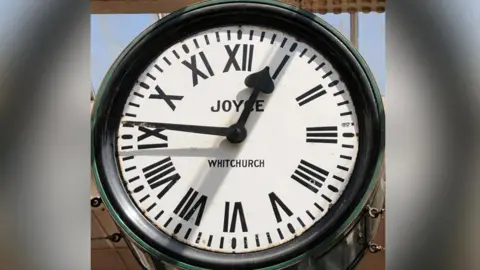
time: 12:46
